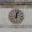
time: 12:03
